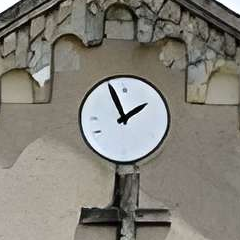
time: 1:56
